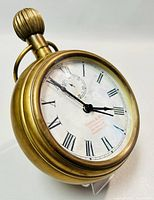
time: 2:50
